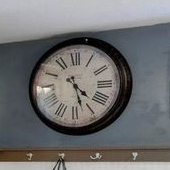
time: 4:27
